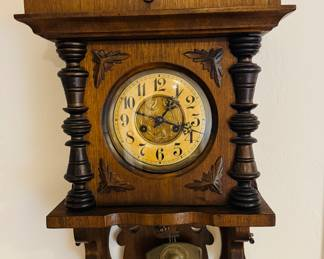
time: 1:18
